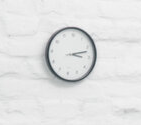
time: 3:12
